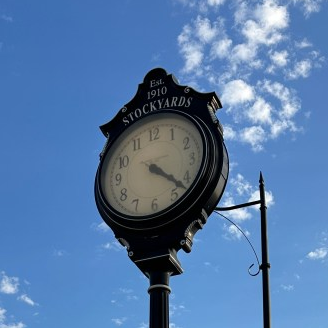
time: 4:22
